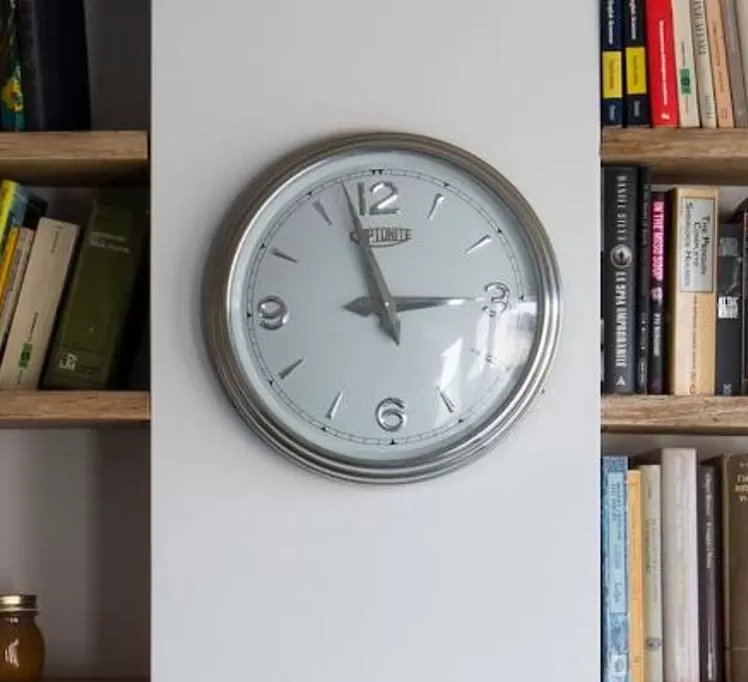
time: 2:57
